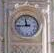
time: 11:44
